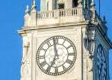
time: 6:58
